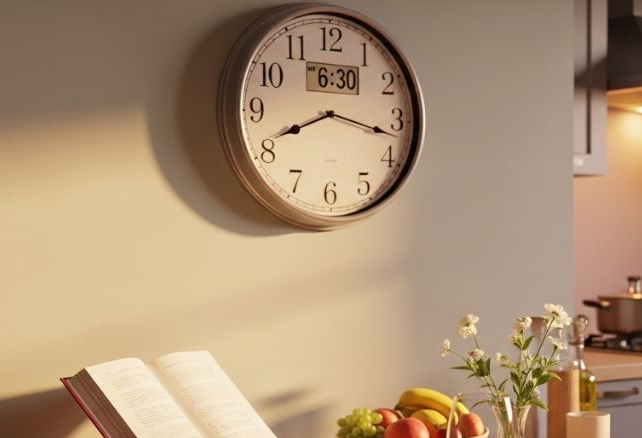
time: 8:17
